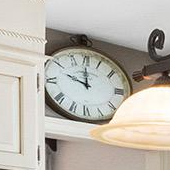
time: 11:48
